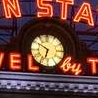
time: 6:50
